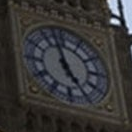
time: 4:57
